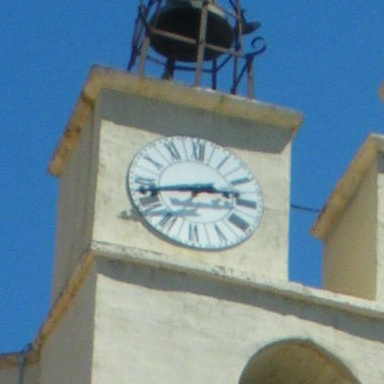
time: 2:42
